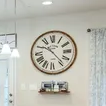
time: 10:23
